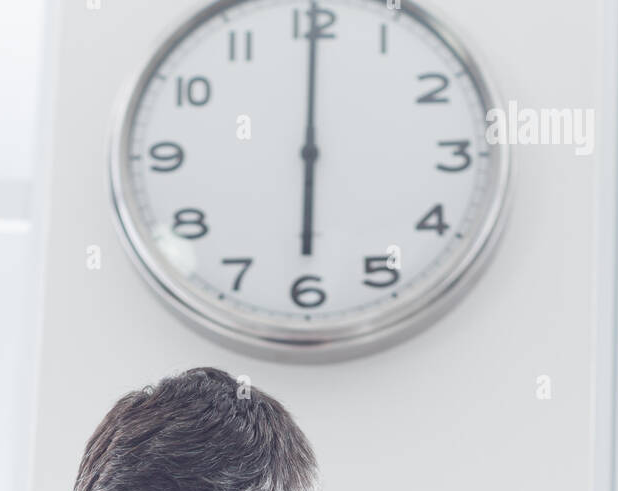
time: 6:00
